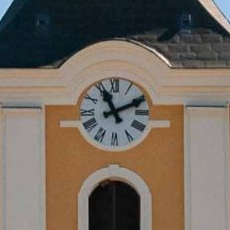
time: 11:10
